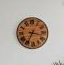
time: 3:34
